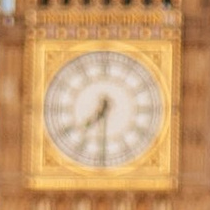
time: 7:30
